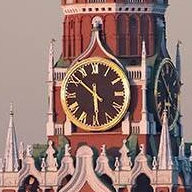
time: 5:51
